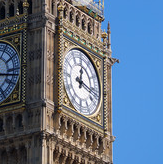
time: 12:16
